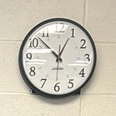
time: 12:52
